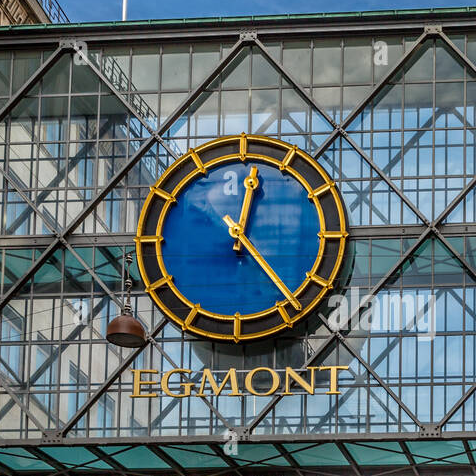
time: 12:23
